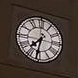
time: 7:31
